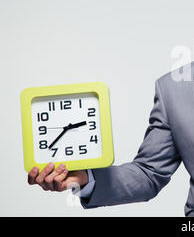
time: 2:37
